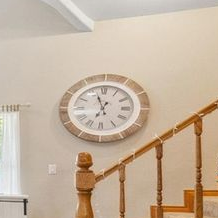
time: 6:56
